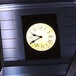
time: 9:40
